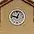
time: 12:47
